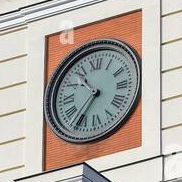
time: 10:36
